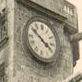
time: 3:50
